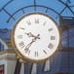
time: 9:36
